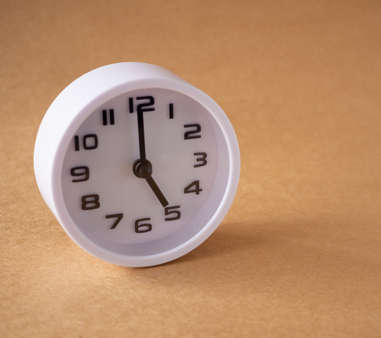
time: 5:00
